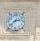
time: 2:38
